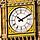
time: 10:10
